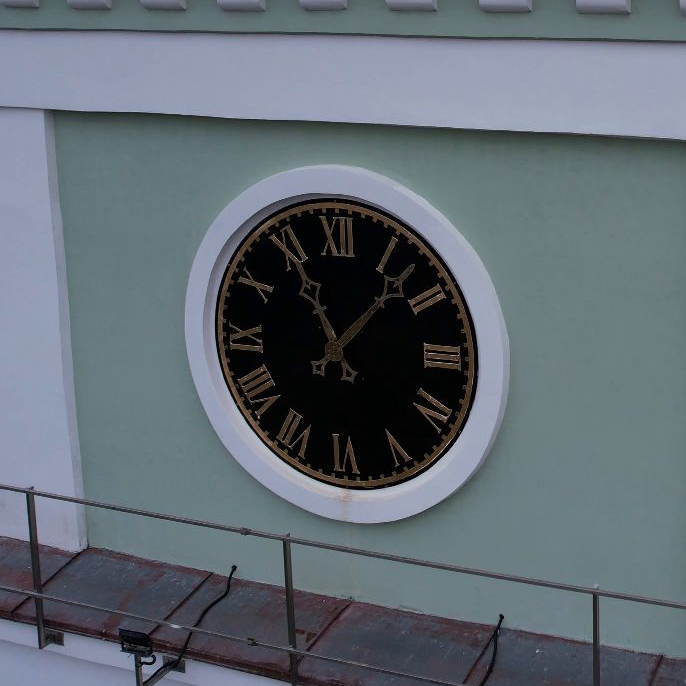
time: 11:07
